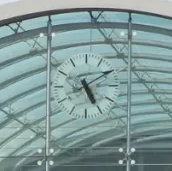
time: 5:09
